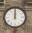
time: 12:00
